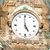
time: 4:59
